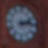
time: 2:13
